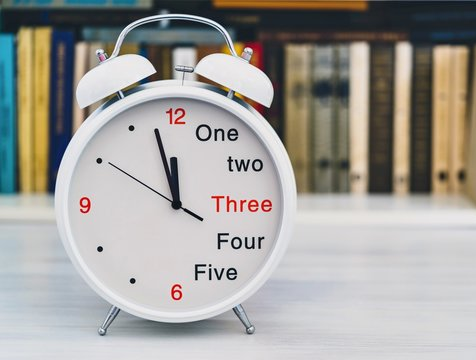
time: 11:57
